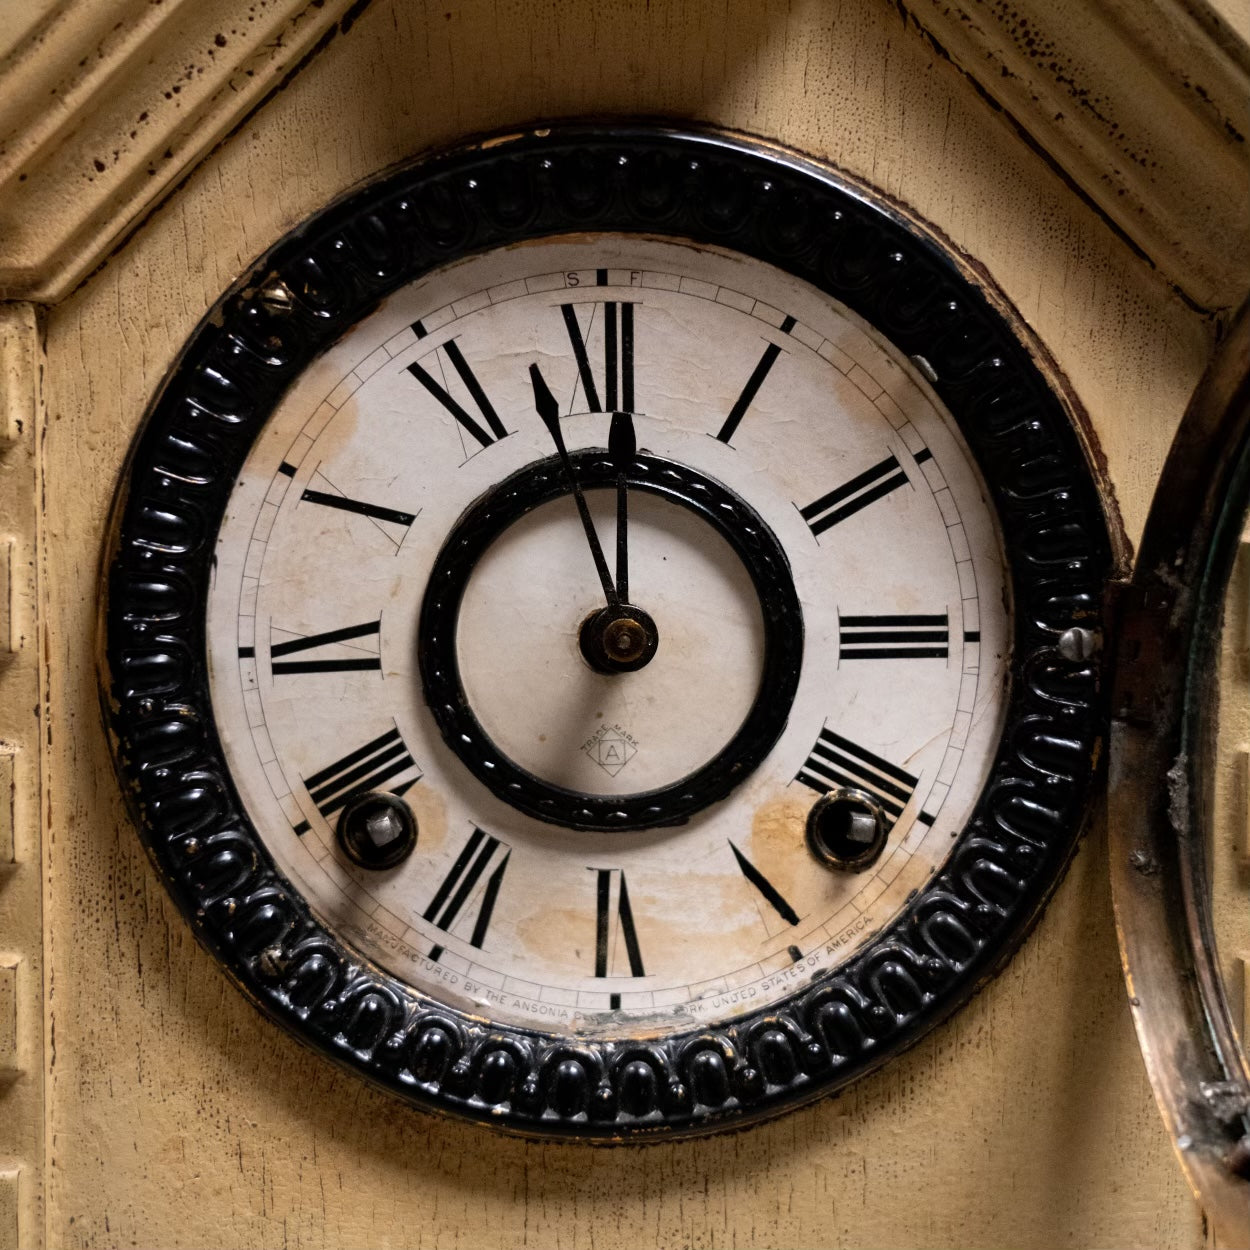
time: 11:58
